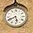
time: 5:40
